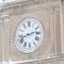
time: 2:42
